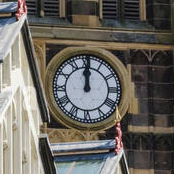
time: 12:00
